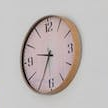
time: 9:34
